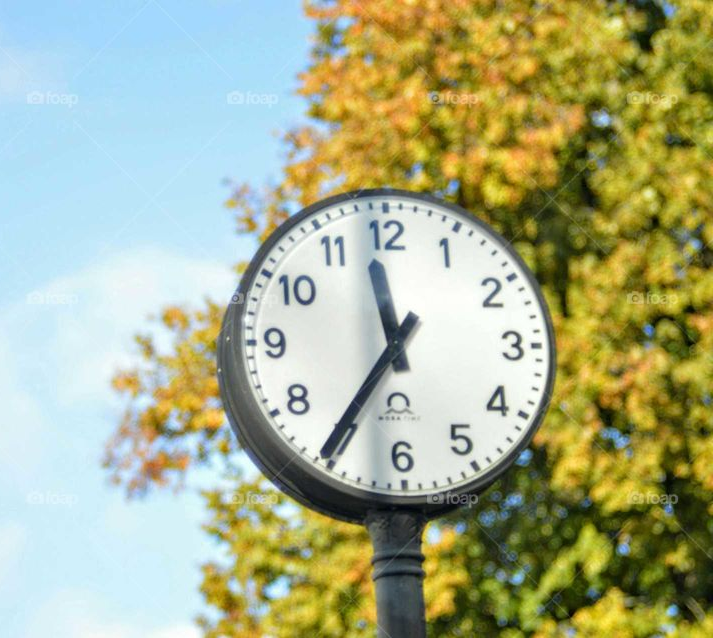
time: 11:35
